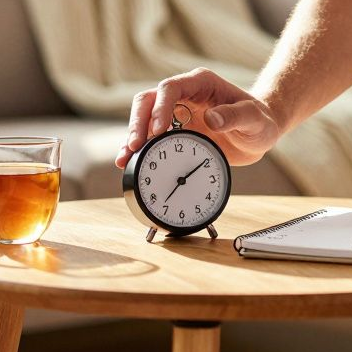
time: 7:09
